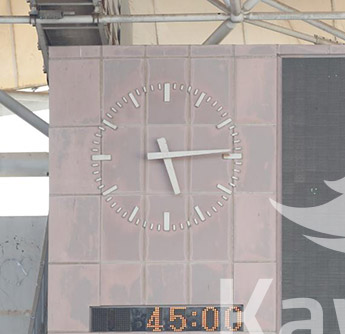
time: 5:14
